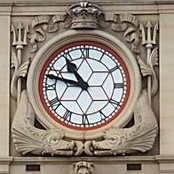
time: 10:47
